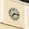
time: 7:13
